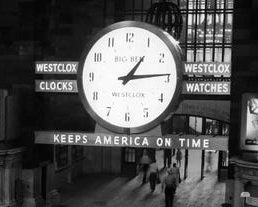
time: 1:13
